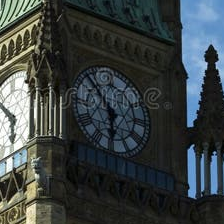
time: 5:52
